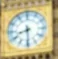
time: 8:29
